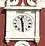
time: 11:29
